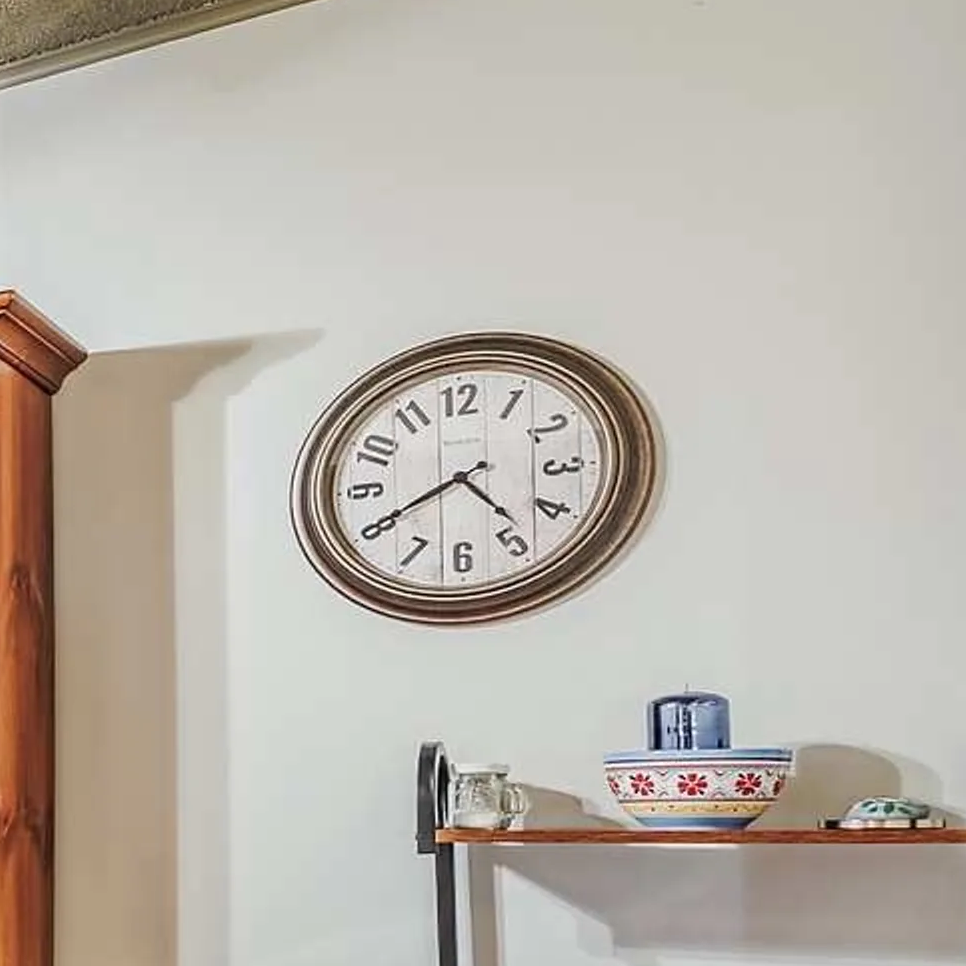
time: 4:40
